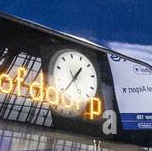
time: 1:38
